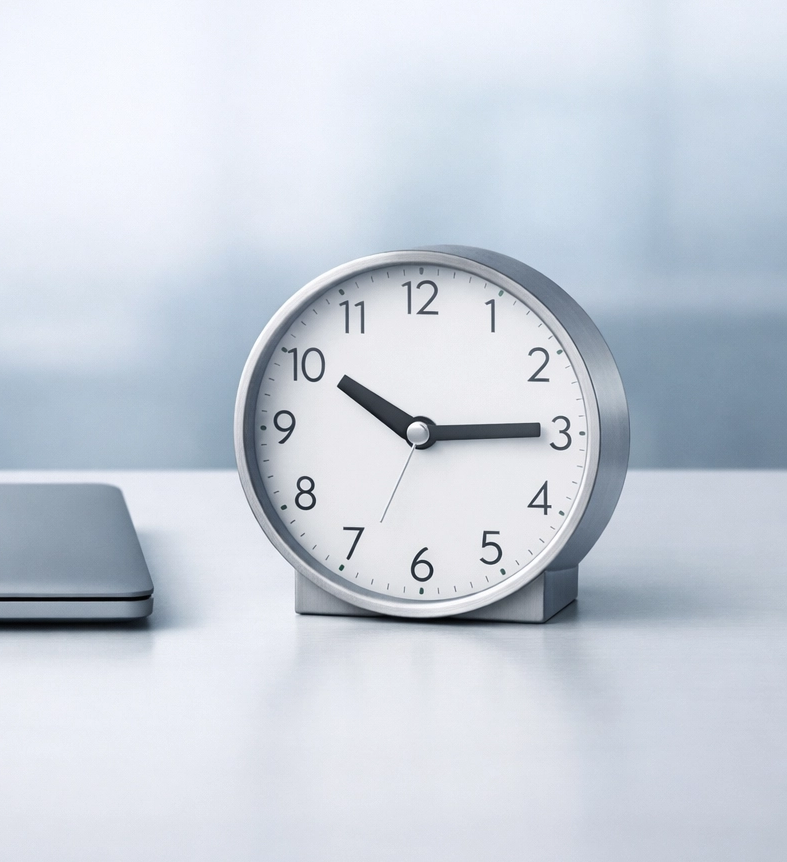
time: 10:14
